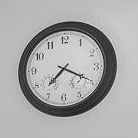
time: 7:19
